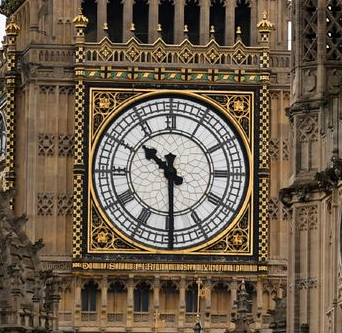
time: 10:29
